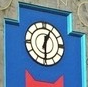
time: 12:29
